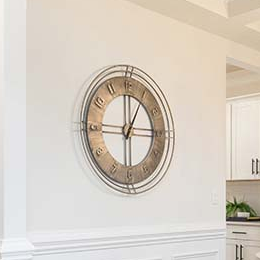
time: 12:59
